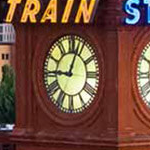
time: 9:03
